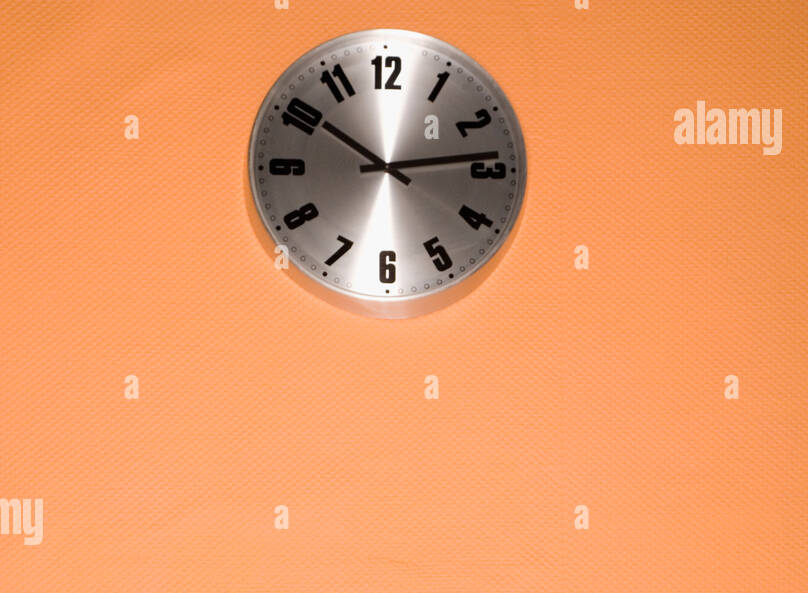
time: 10:13
